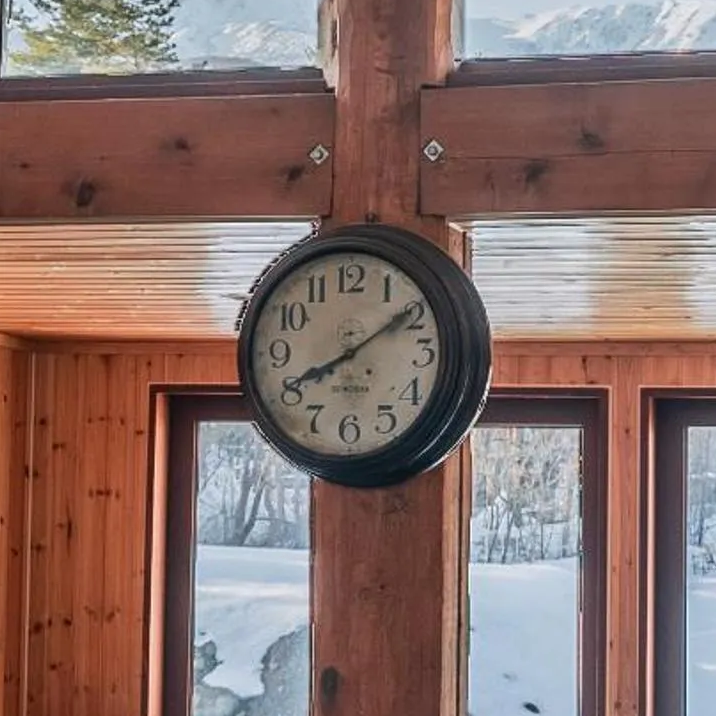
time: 8:09
